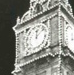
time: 12:07
